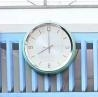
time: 7:59
